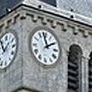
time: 1:58
